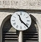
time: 11:22
